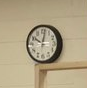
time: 10:01
